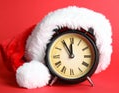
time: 11:54
